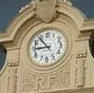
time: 10:45
